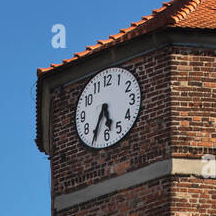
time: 5:34
